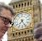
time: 7:25
